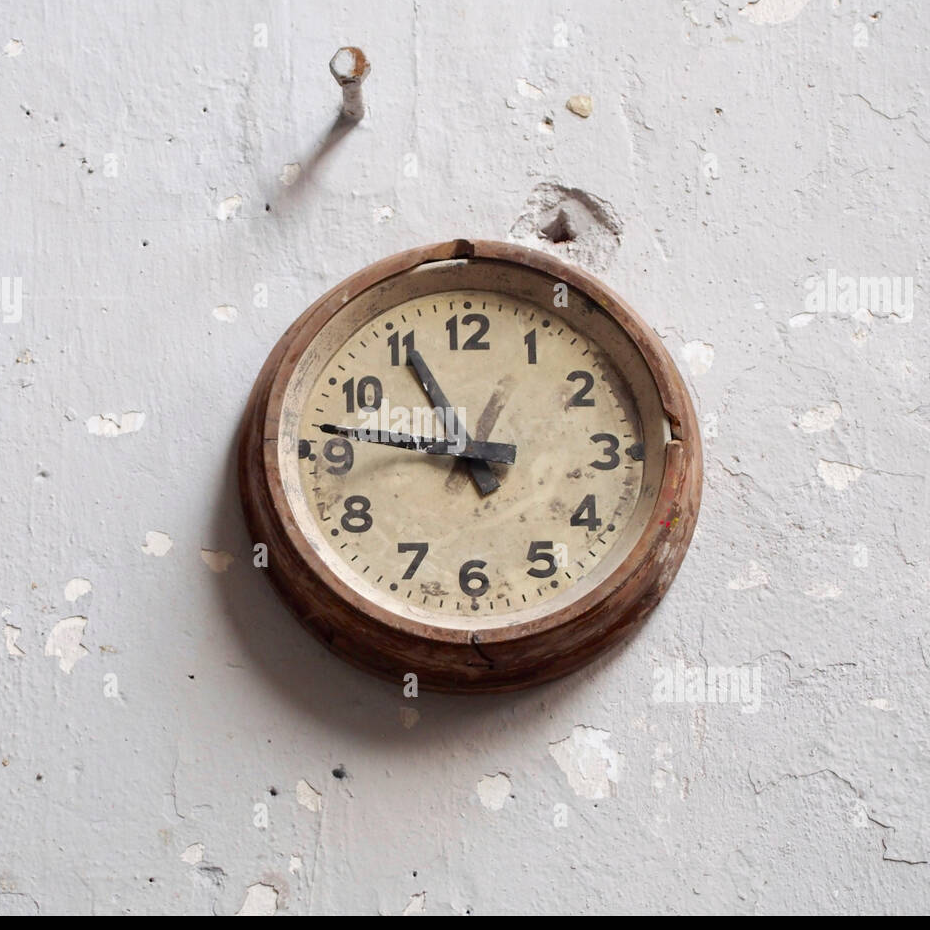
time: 9:55
